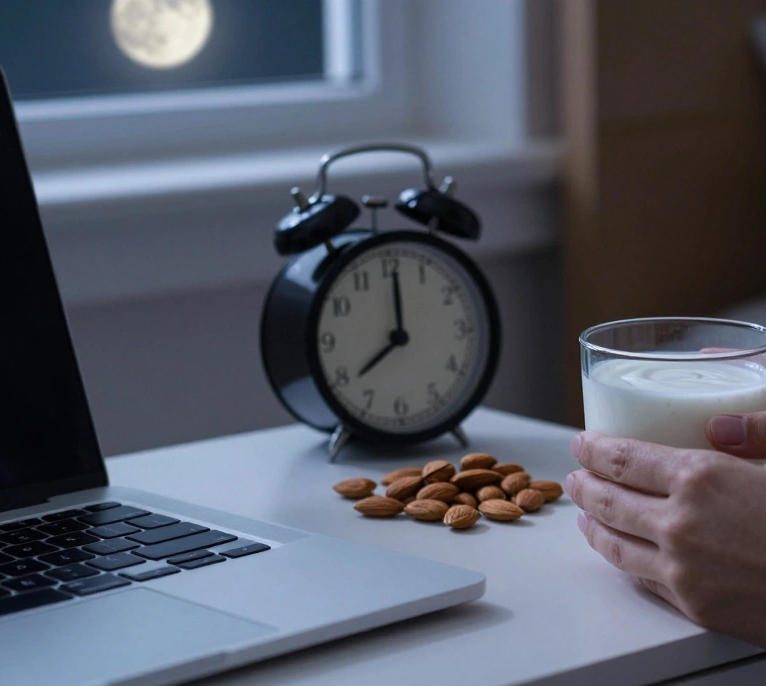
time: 8:00
